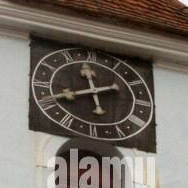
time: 11:40
